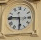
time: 5:45
